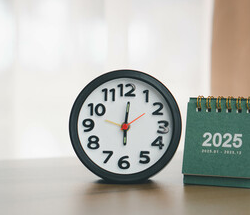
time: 6:00
